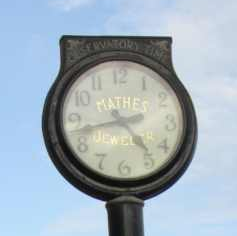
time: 4:42
